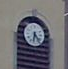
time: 6:23
